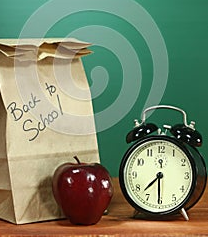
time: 7:30
